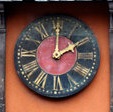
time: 2:00
